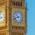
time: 10:41
